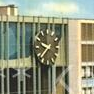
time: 9:38
